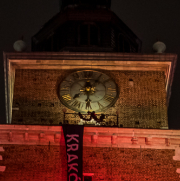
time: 6:06
